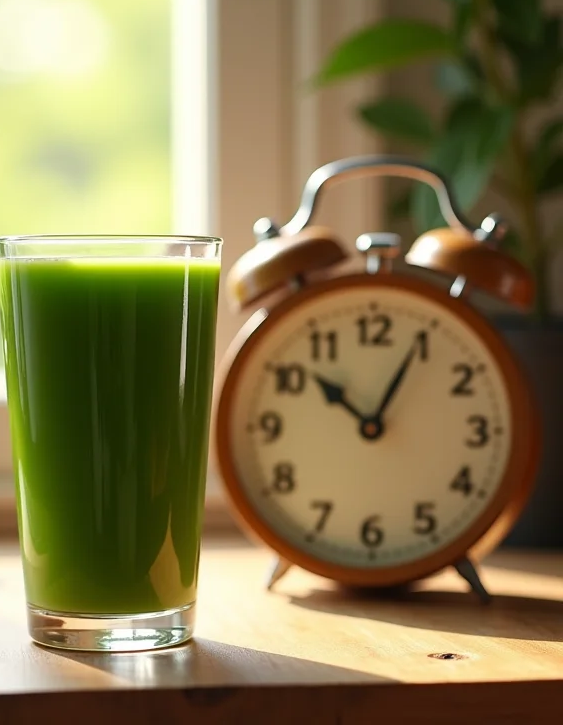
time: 10:04
